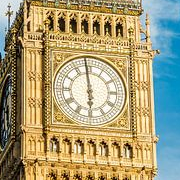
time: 5:58
